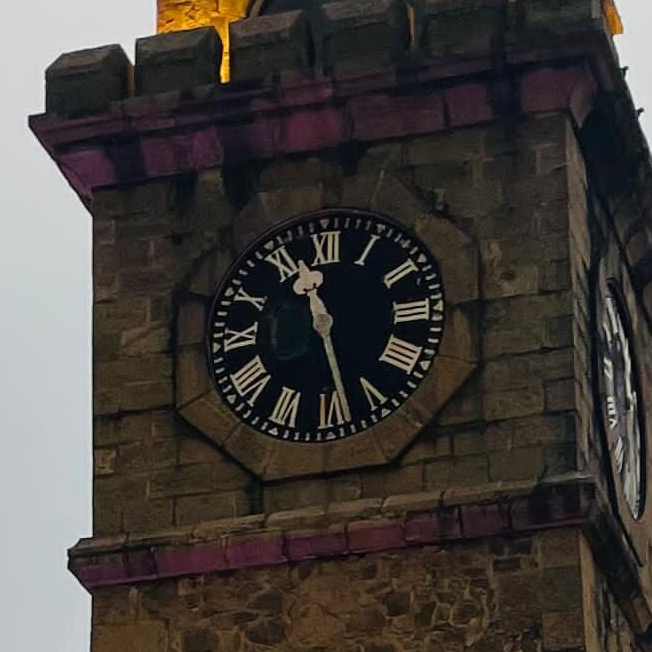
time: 11:28
